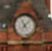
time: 11:07
